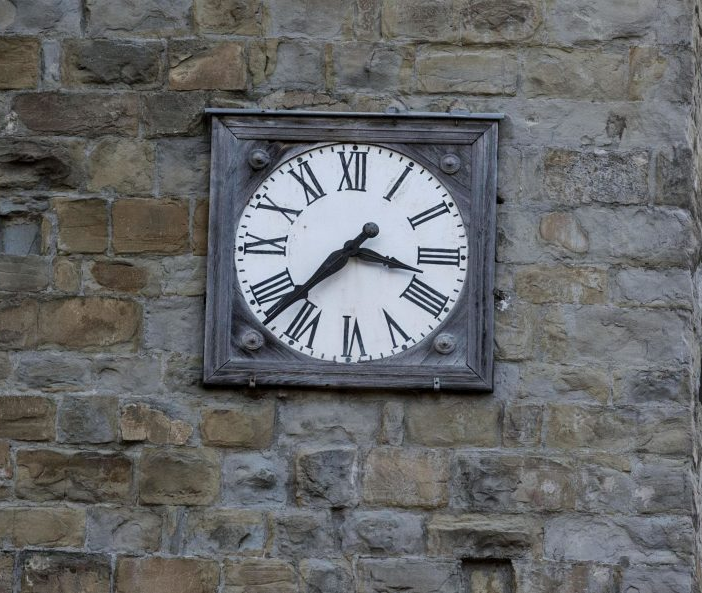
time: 3:37
